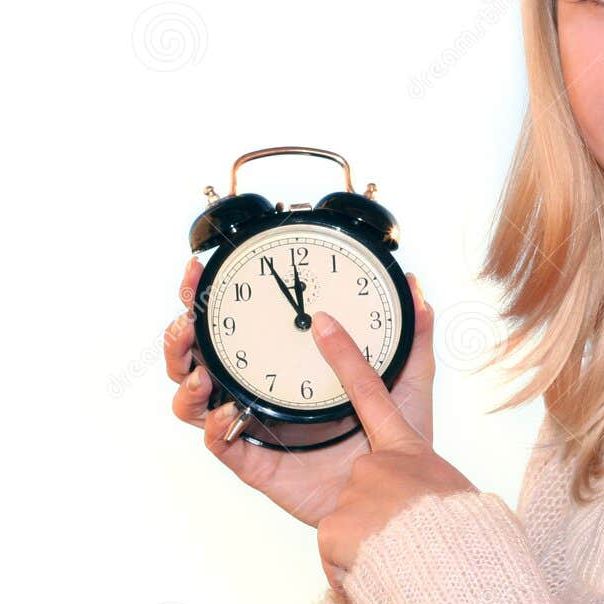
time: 11:55
